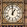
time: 12:59
